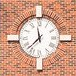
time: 11:37
